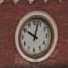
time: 10:02
